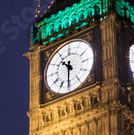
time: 10:30
